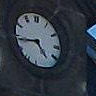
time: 4:43
